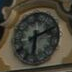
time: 6:11
